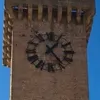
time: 1:23
